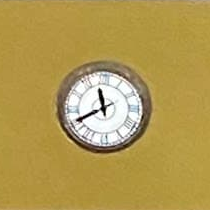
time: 11:40
